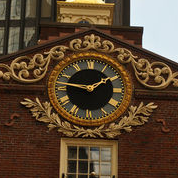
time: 1:46
